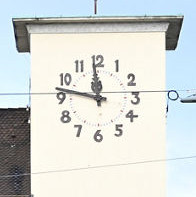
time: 11:47
